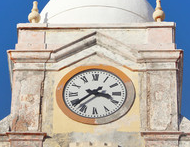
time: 3:38
